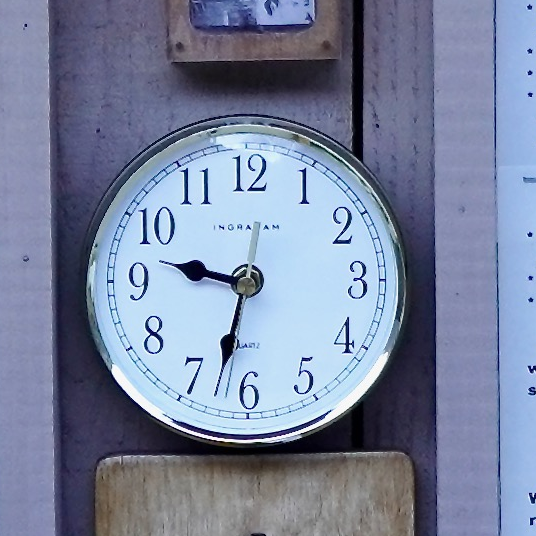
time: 9:32
